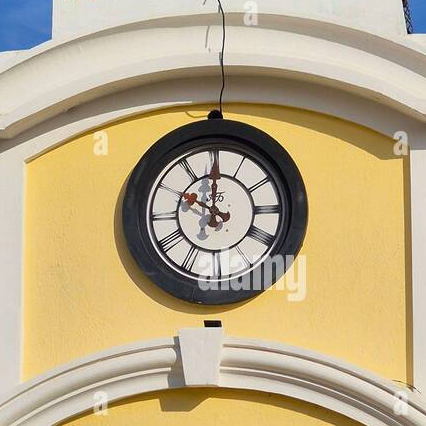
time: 10:00
